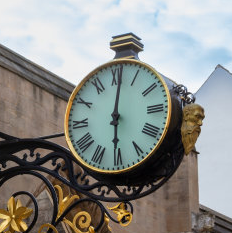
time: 6:01
